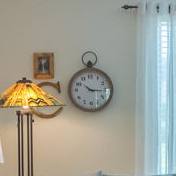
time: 10:15
